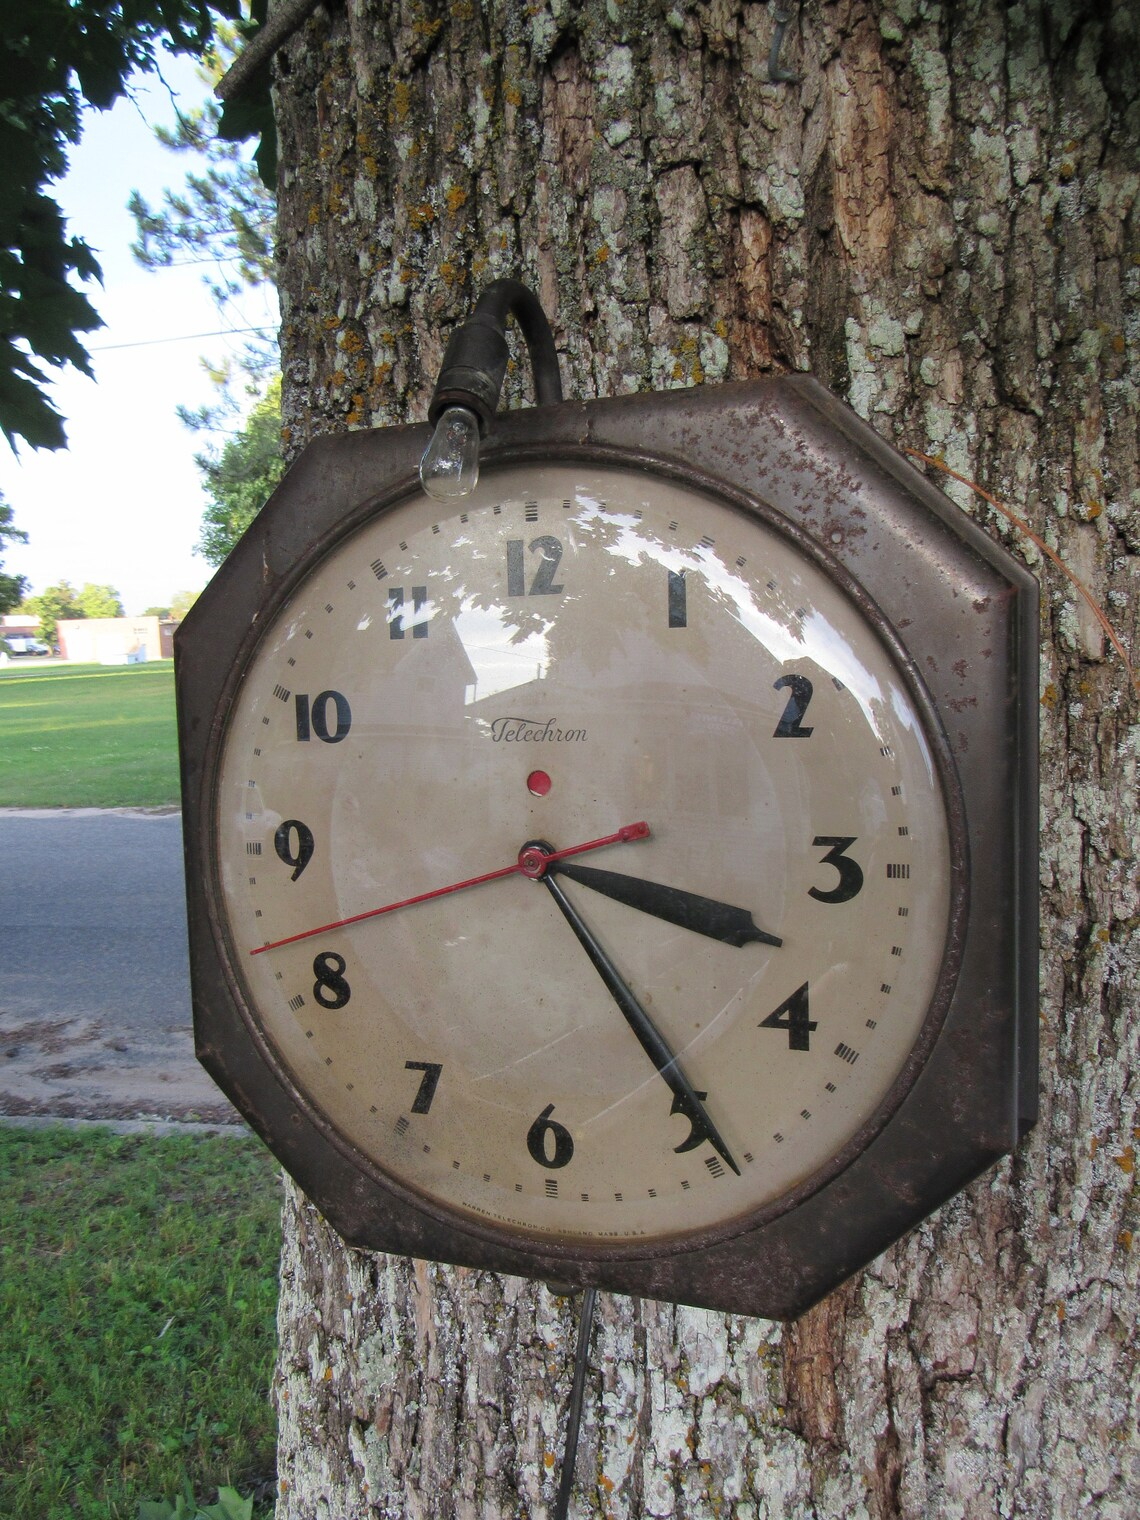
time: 3:24
